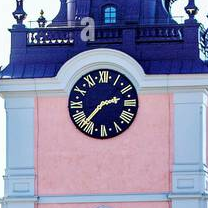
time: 2:36
